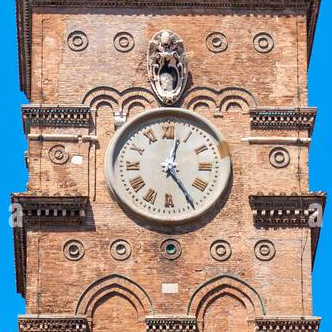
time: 12:24
